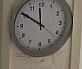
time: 11:50
